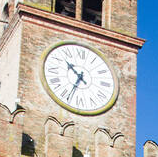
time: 10:34
